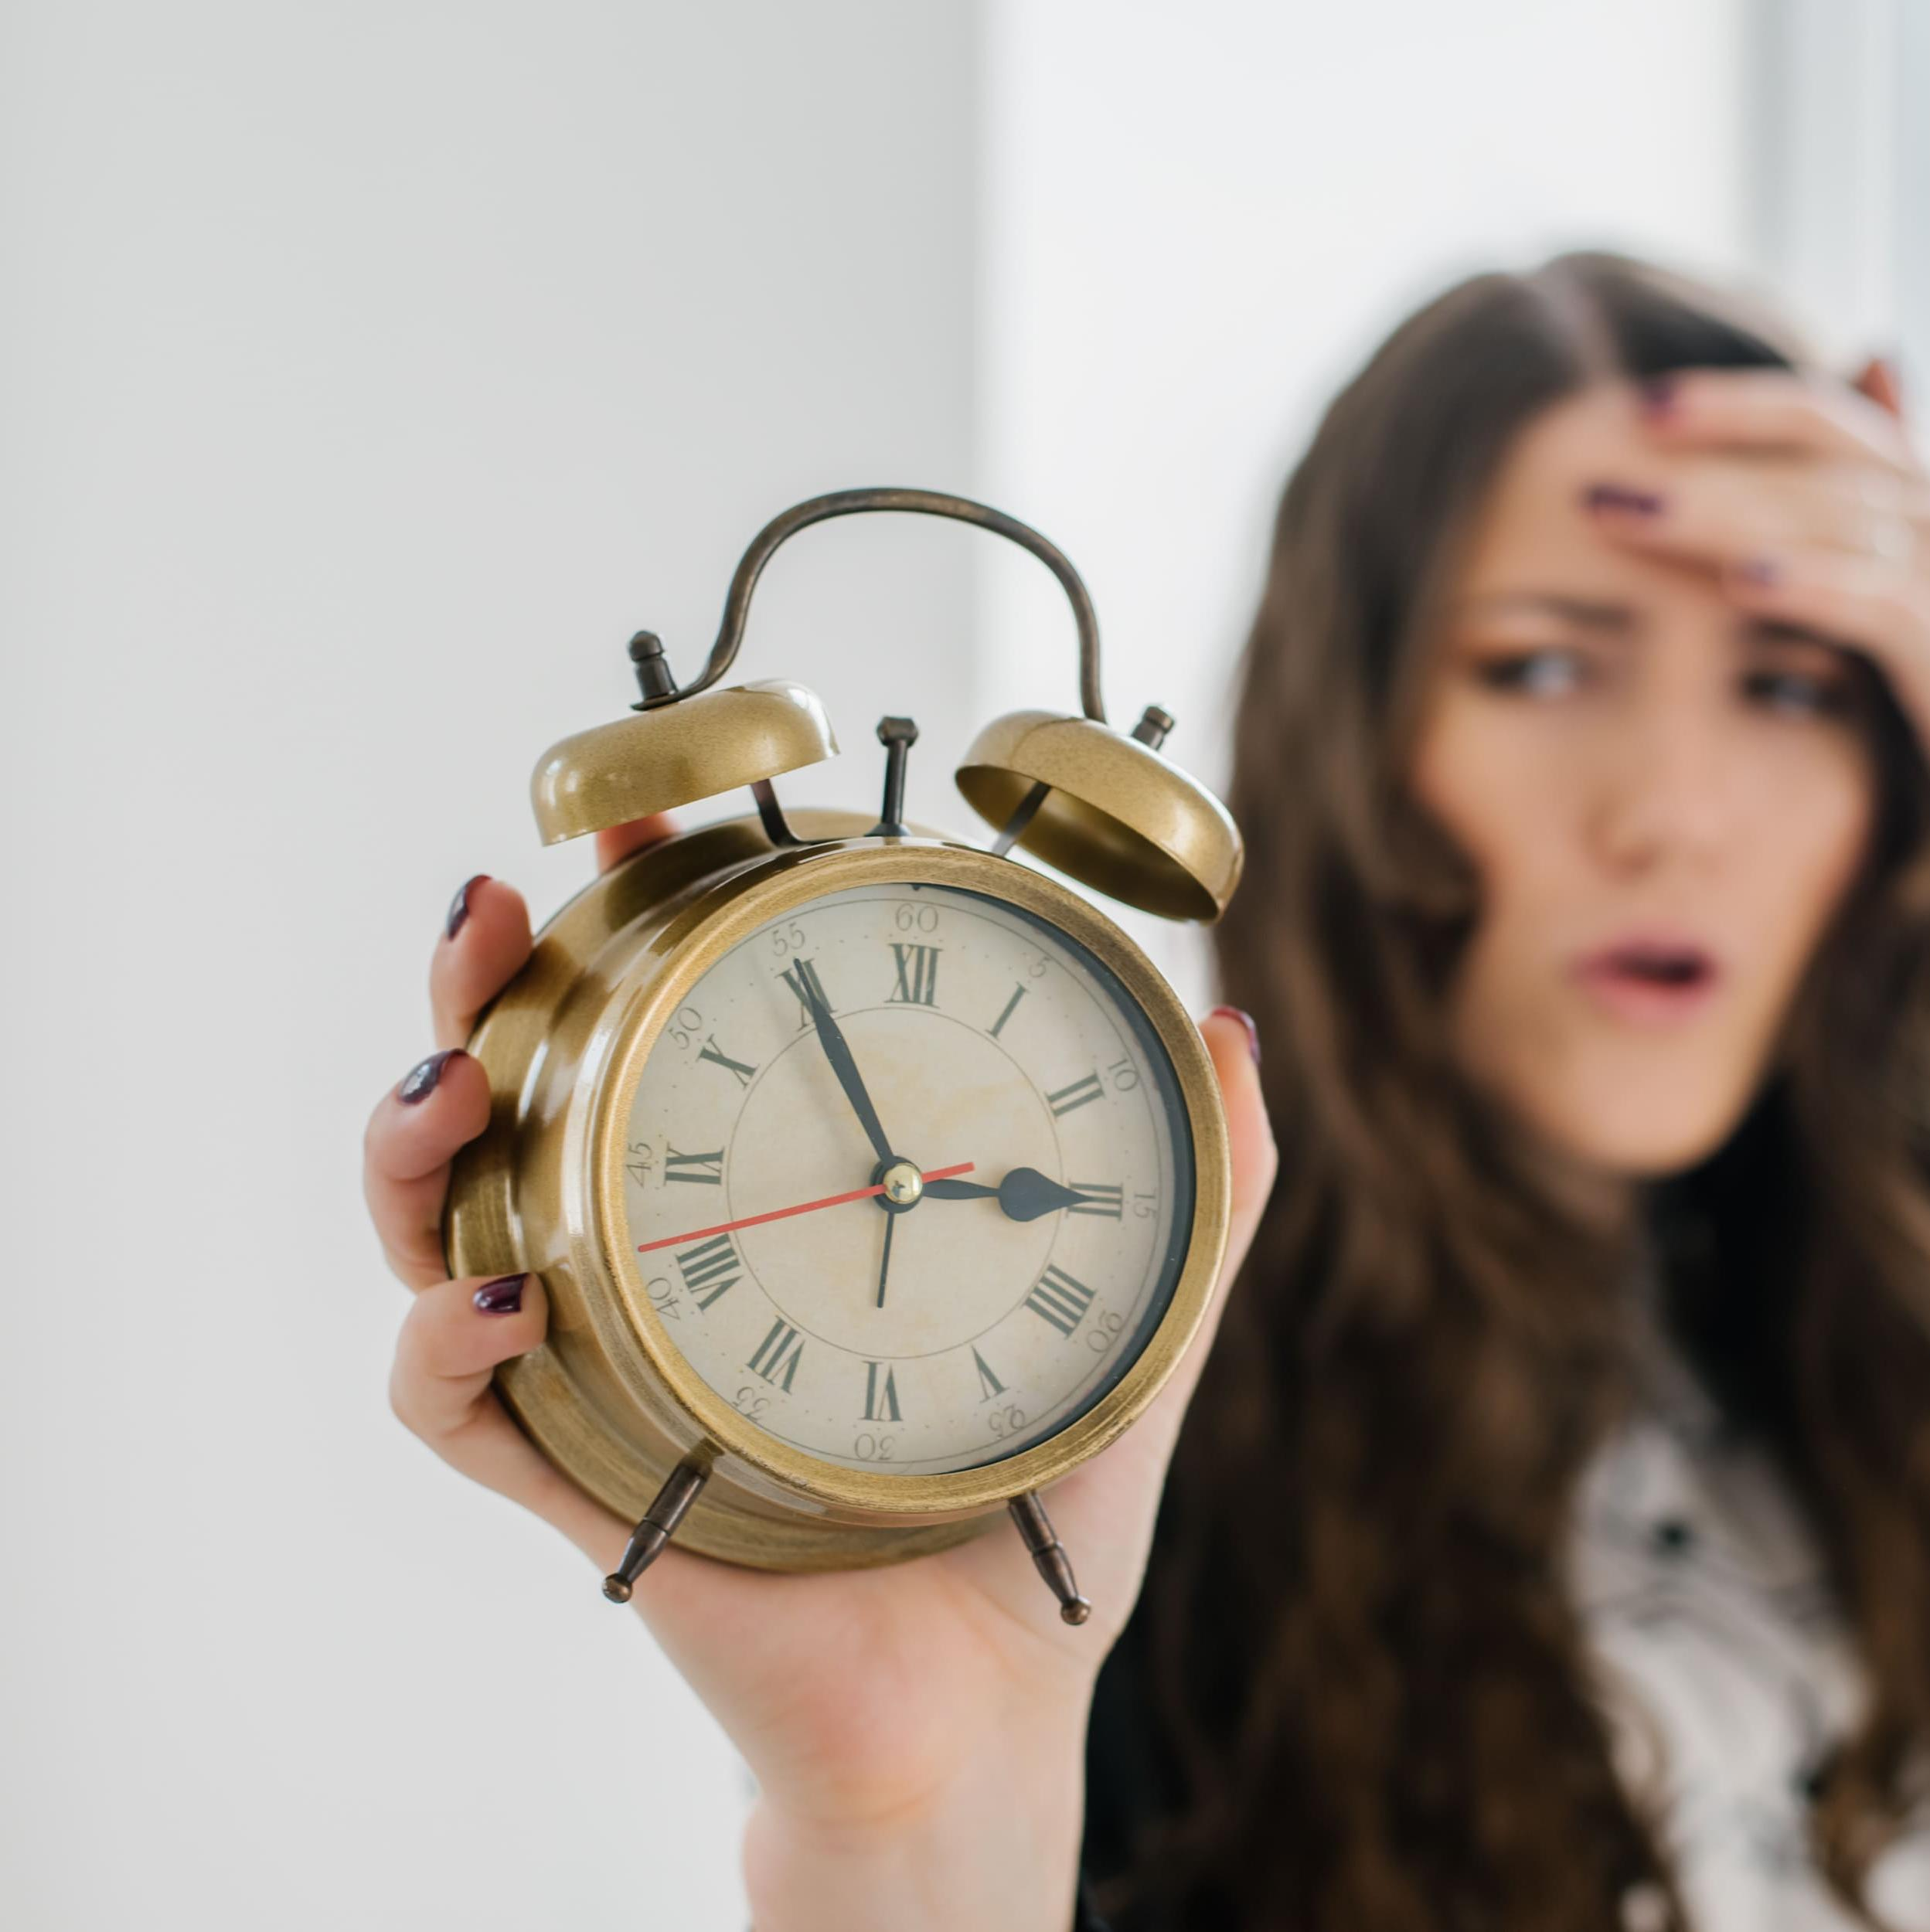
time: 2:55
